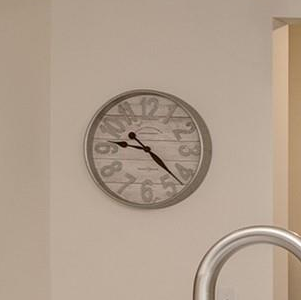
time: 9:22
